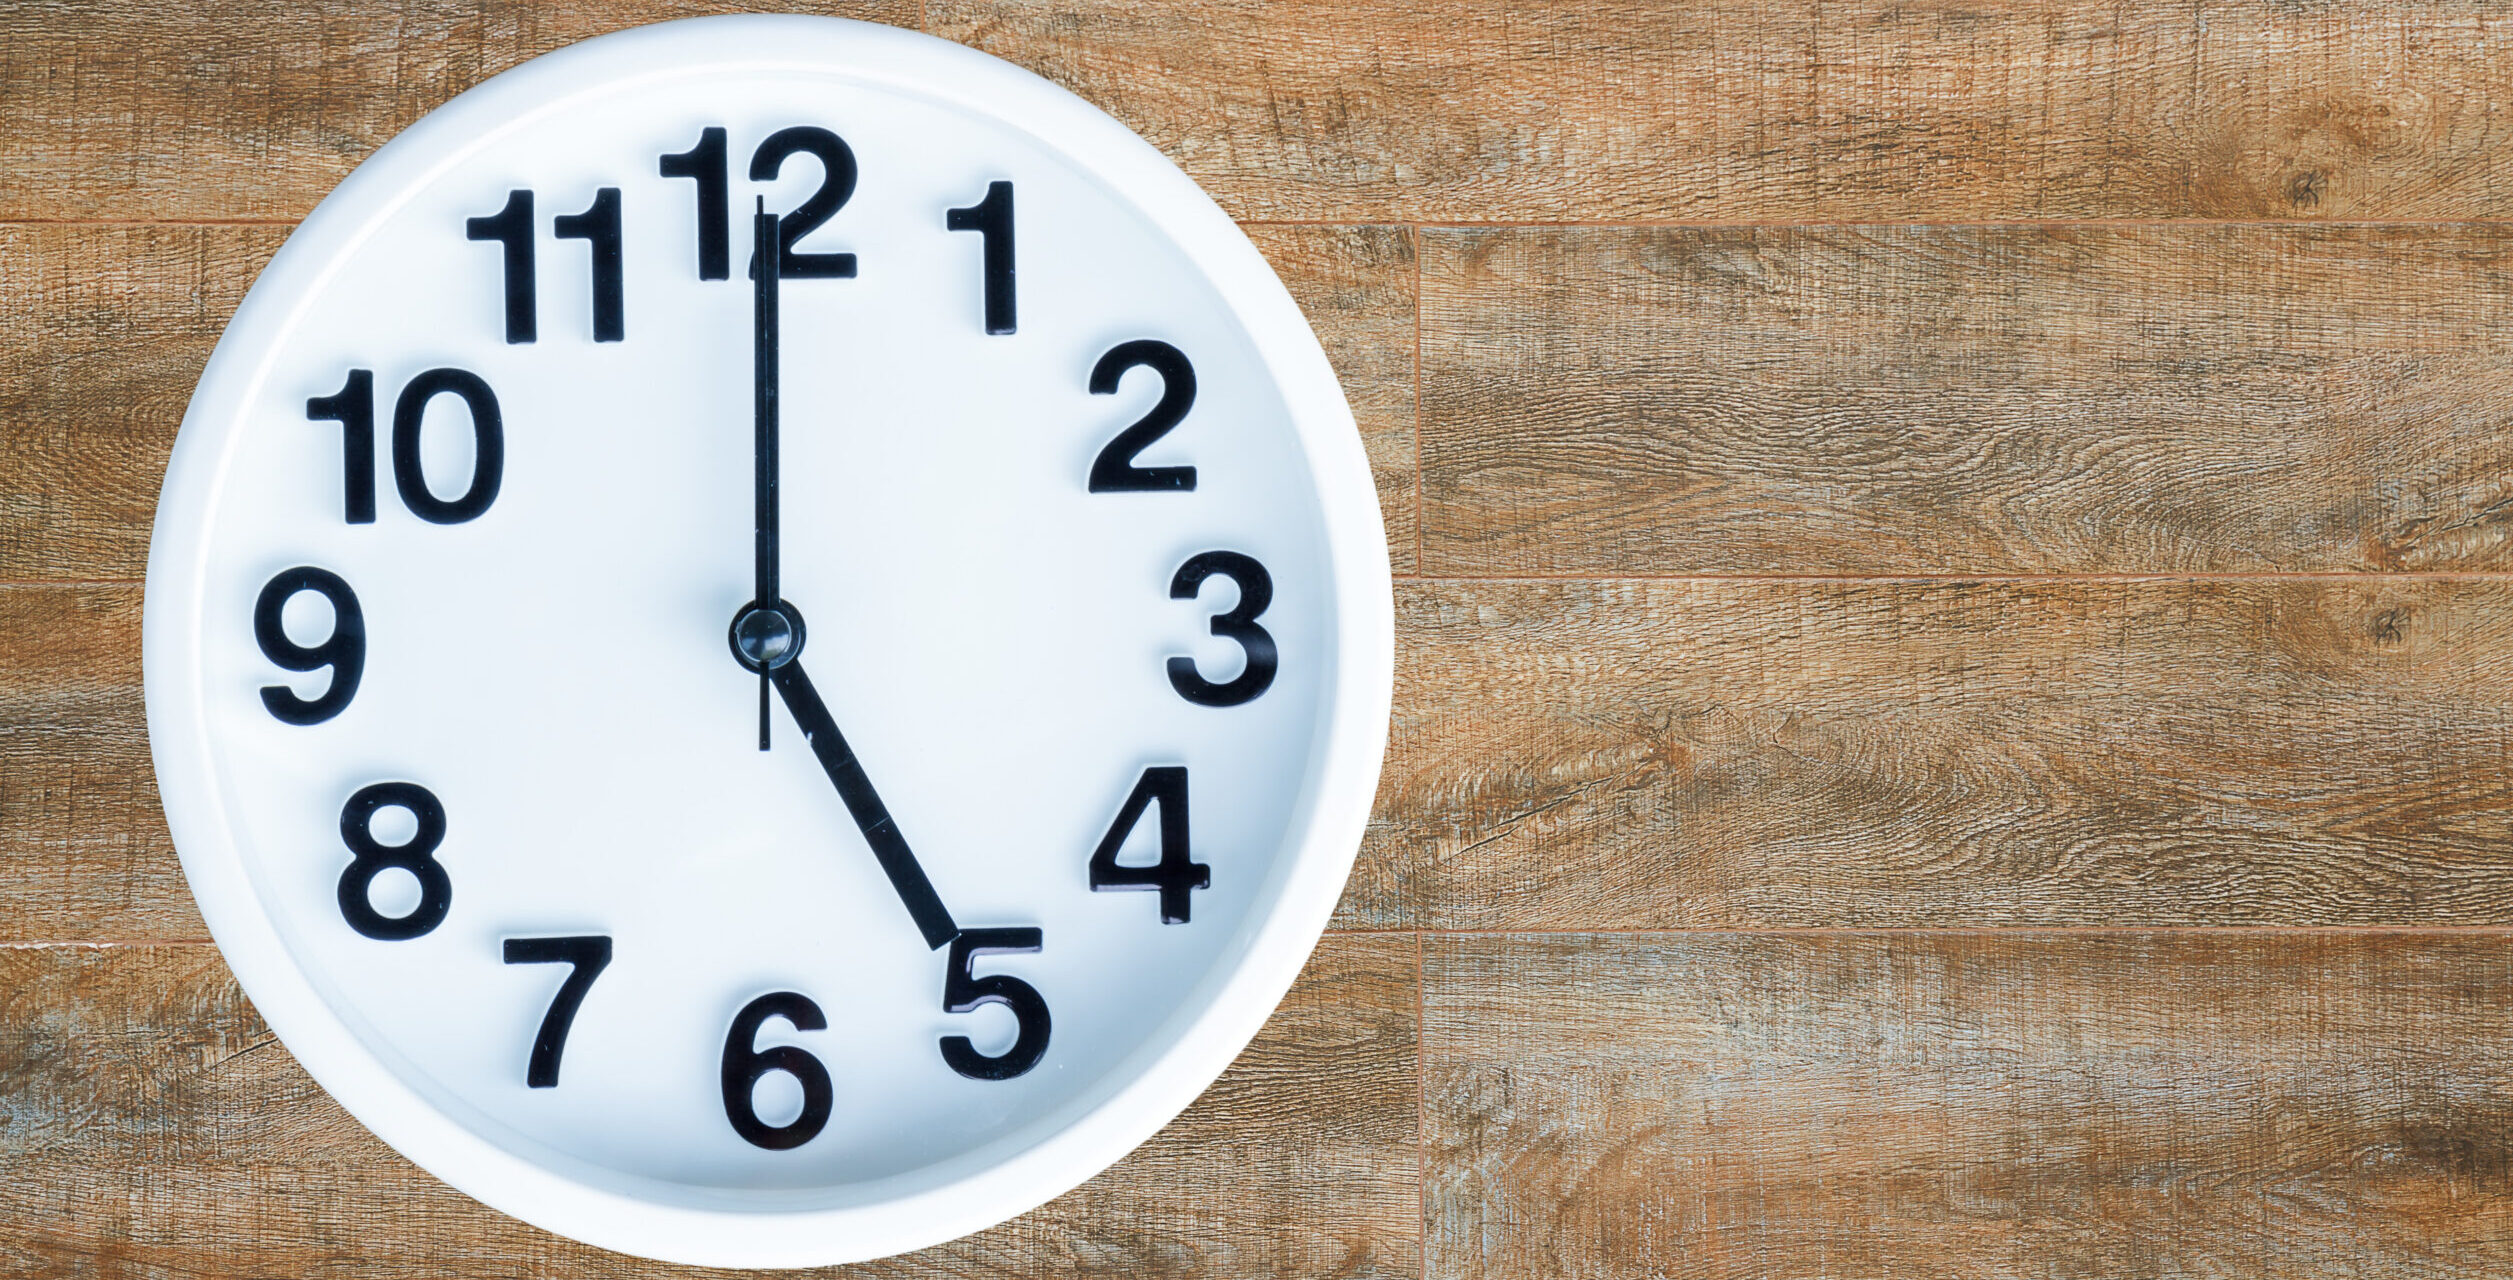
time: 5:00
